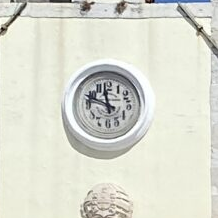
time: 11:48
